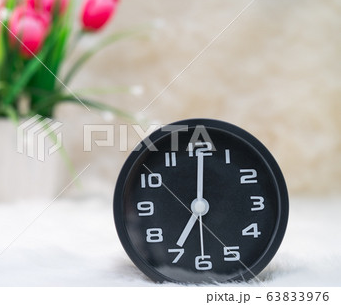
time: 7:00
